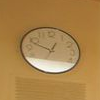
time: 12:48
